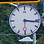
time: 3:16
